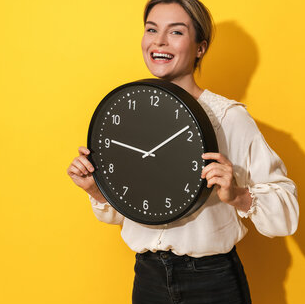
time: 9:08
